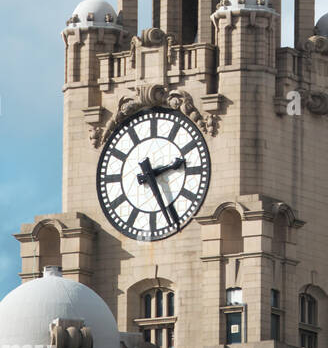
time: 2:25
